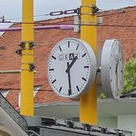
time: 1:29
